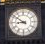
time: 8:51
